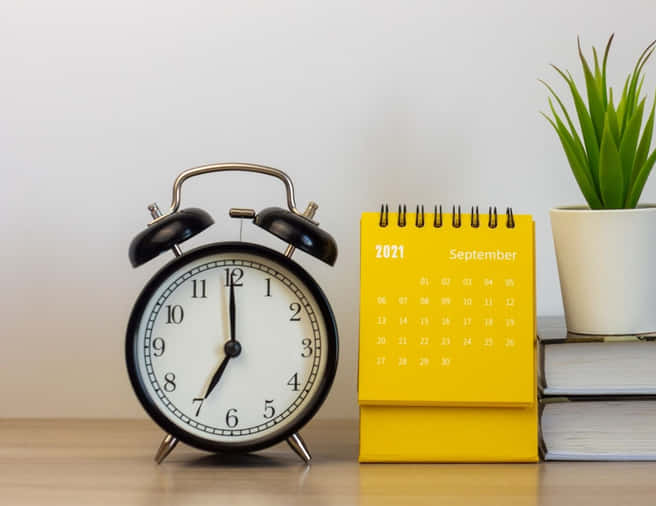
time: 7:00
